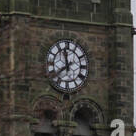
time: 11:38
